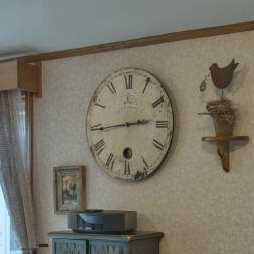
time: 2:44
